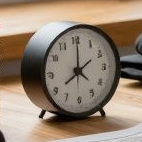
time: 8:00
